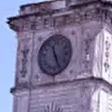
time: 11:25
